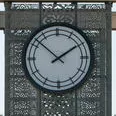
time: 1:52
